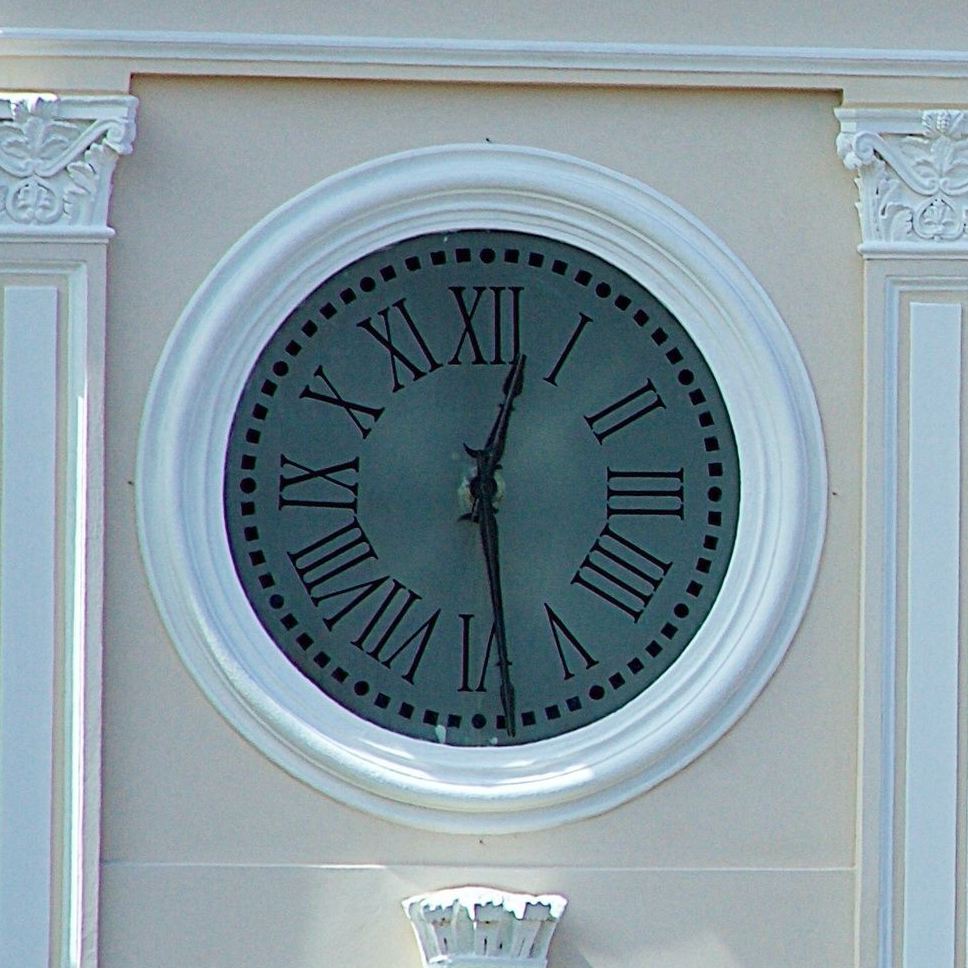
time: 12:28
